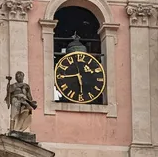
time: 5:44
